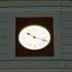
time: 10:18
